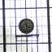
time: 4:29
